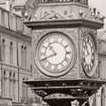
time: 10:41
